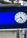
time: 4:42
